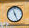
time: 11:25
